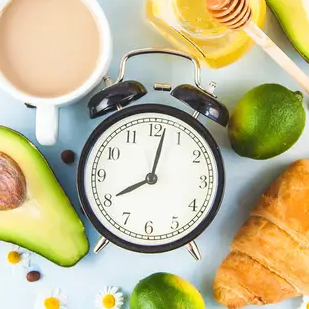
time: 8:02
